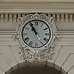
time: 10:55
